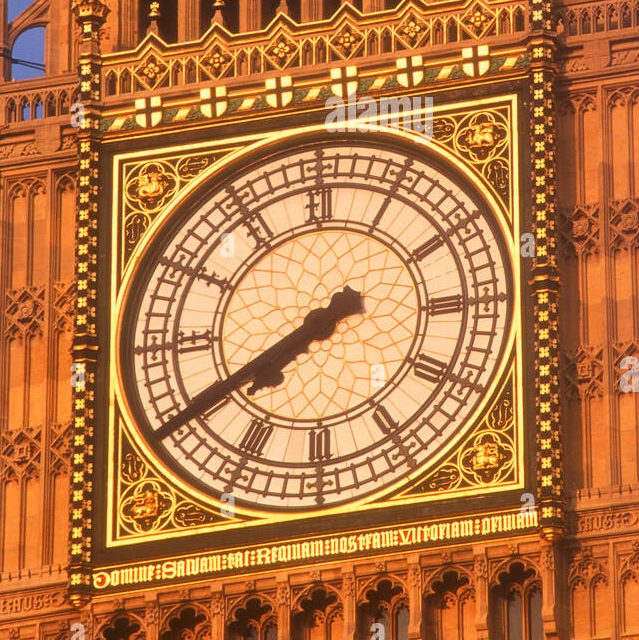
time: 7:40
